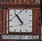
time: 10:53
